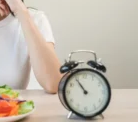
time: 10:54
